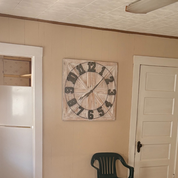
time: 8:07
